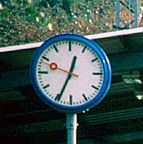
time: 12:34
